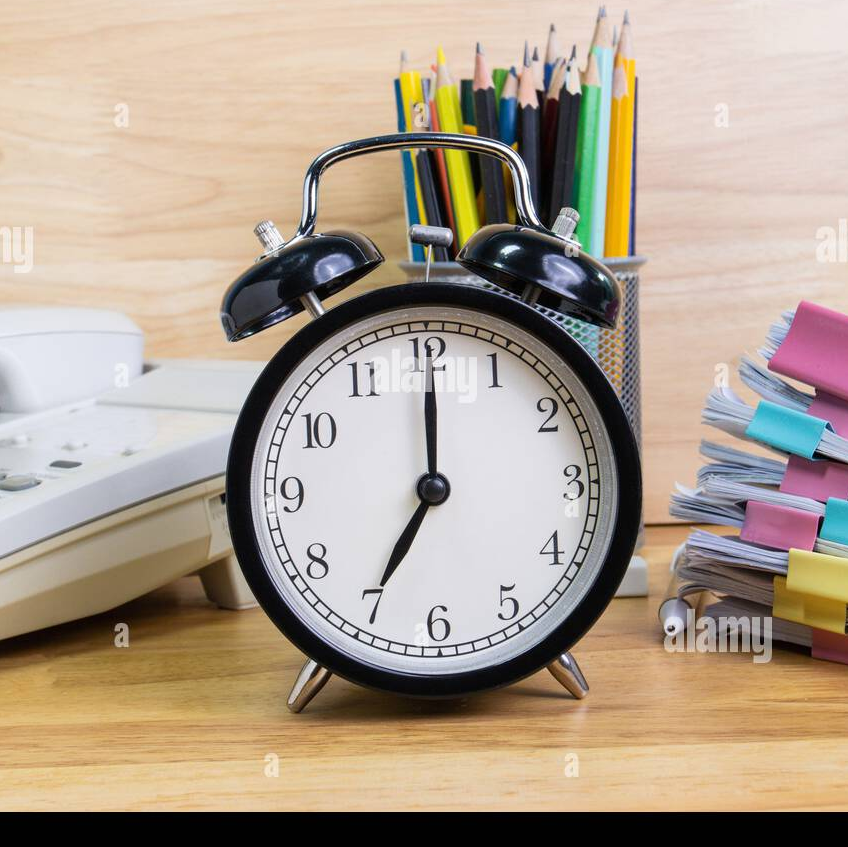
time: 7:00
